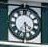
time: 4:29
